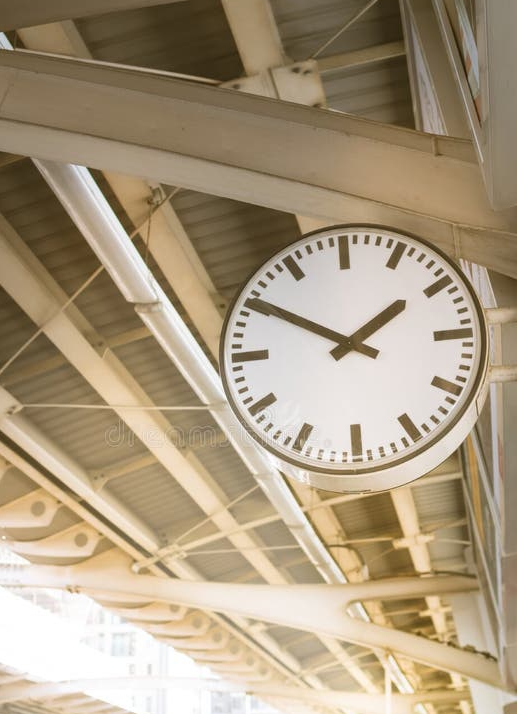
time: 1:50
